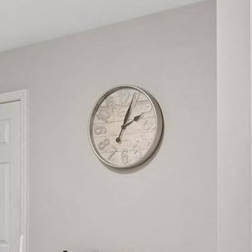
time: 2:03
